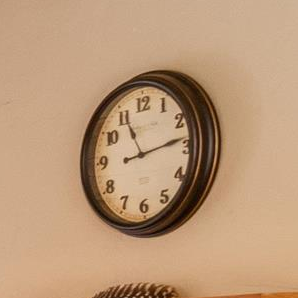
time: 11:13
